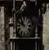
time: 10:48
